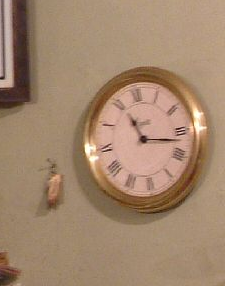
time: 11:16
